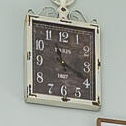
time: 11:19
